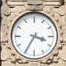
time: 3:34
